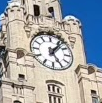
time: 5:06
